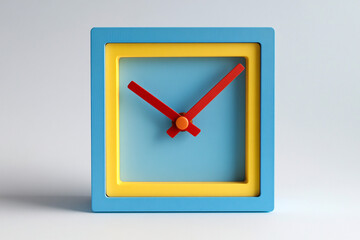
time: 10:07
